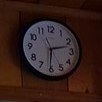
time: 2:30
